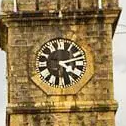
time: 4:12
